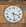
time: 3:28
